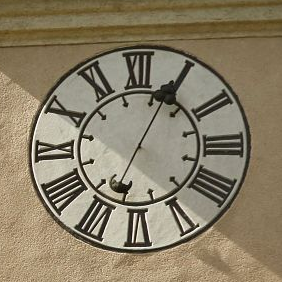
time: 7:04
